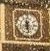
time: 6:28
